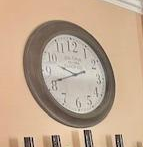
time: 9:41
